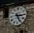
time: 5:15
